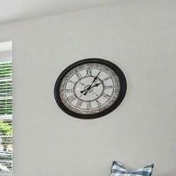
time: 2:04
